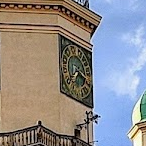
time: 7:18
